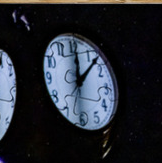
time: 12:07
